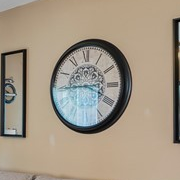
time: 3:44
